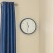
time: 11:32
